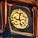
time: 12:28
